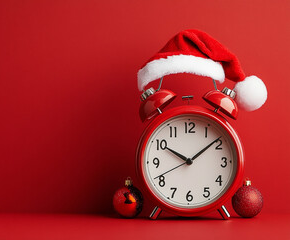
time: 10:08
